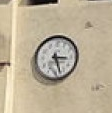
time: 3:27
